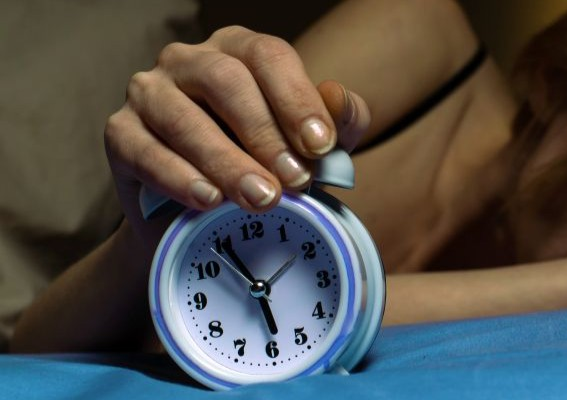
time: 5:54
